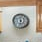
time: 11:32
